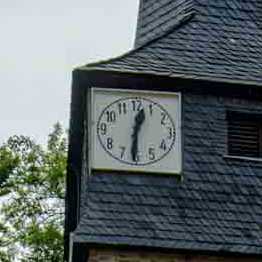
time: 12:30
